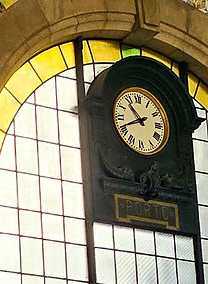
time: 10:41
